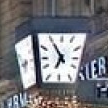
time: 6:54
